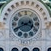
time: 3:40
